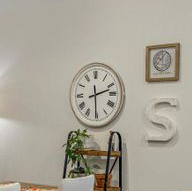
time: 2:29
